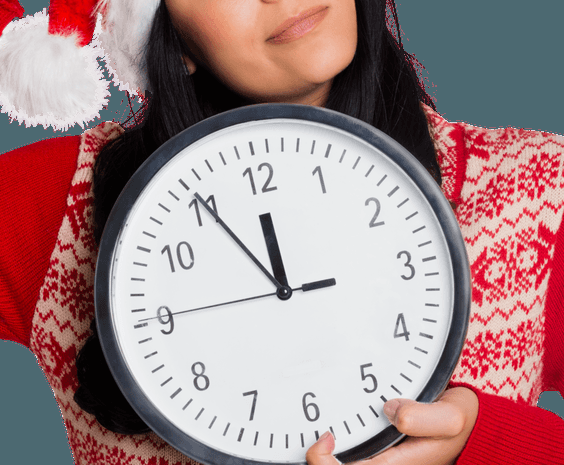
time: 11:54
